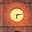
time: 6:13
